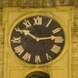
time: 10:13
